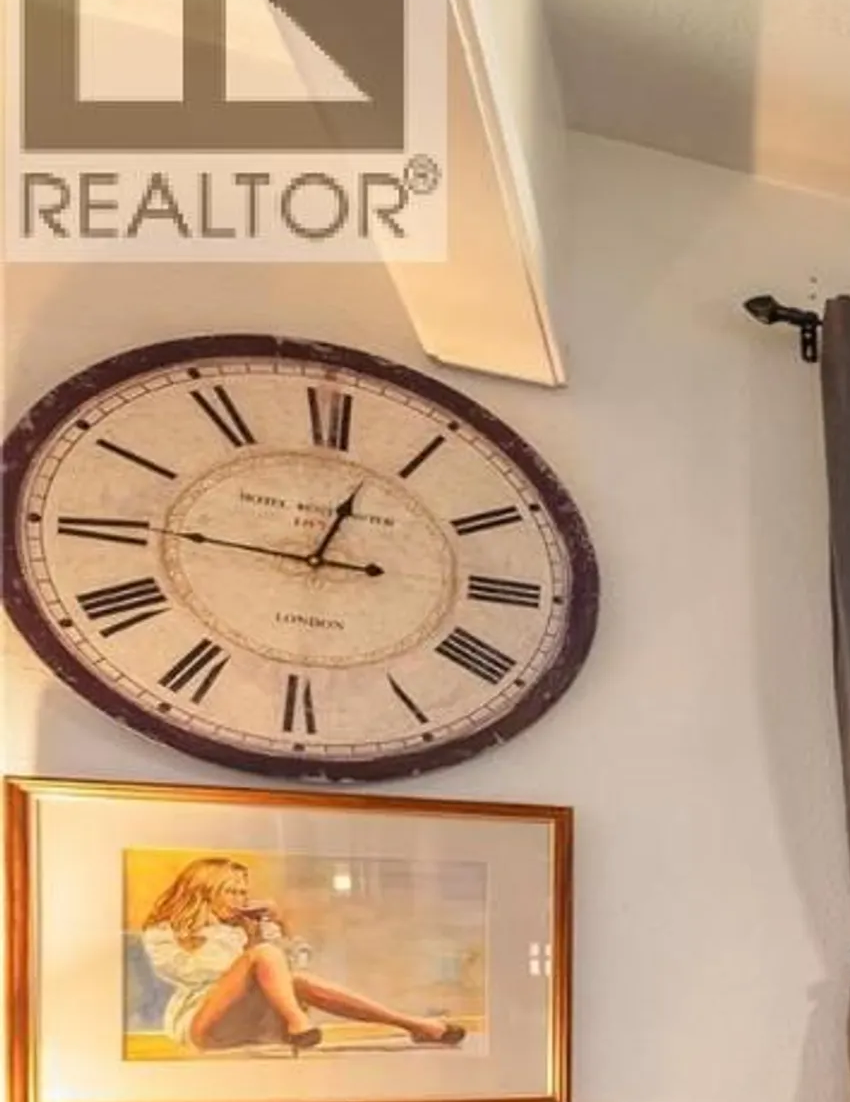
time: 12:45
